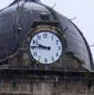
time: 9:45
